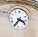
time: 3:35
